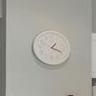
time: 1:18
